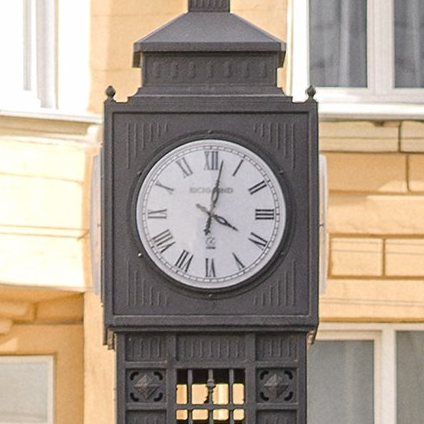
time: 4:01
